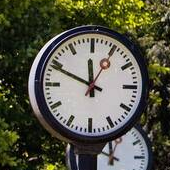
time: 11:48
